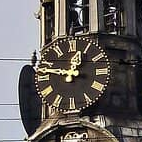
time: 12:47
